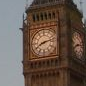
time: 8:12
